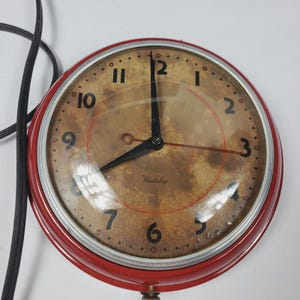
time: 7:59
